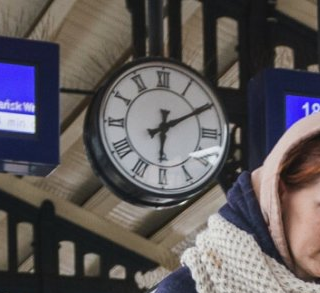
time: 6:10
